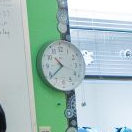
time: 10:38
